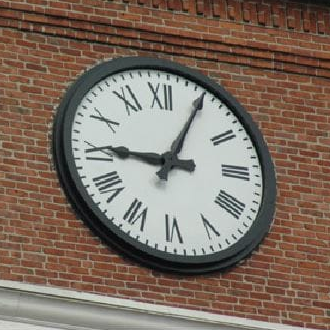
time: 9:04
